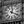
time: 12:19
